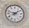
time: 1:47
